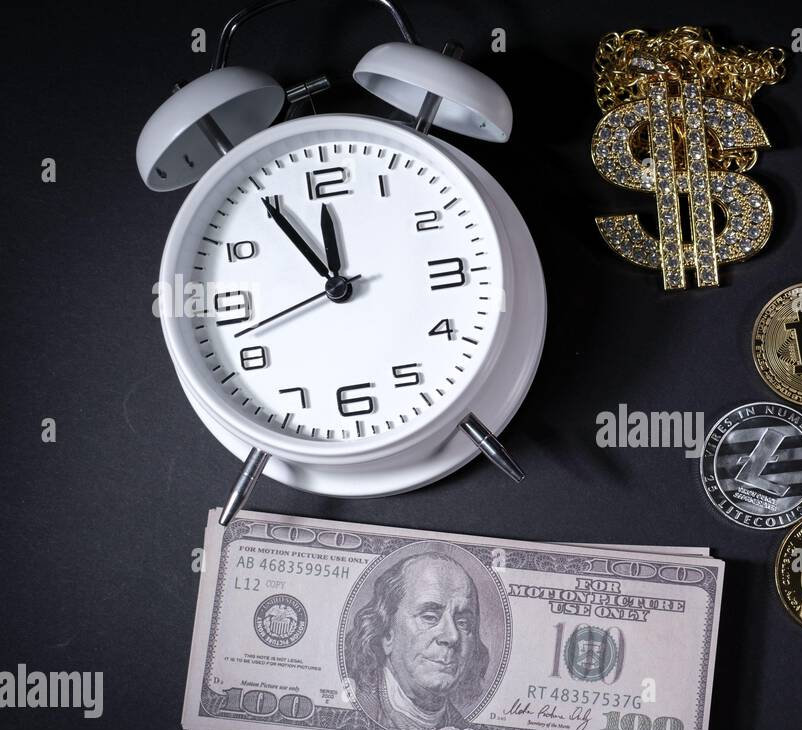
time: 11:54
